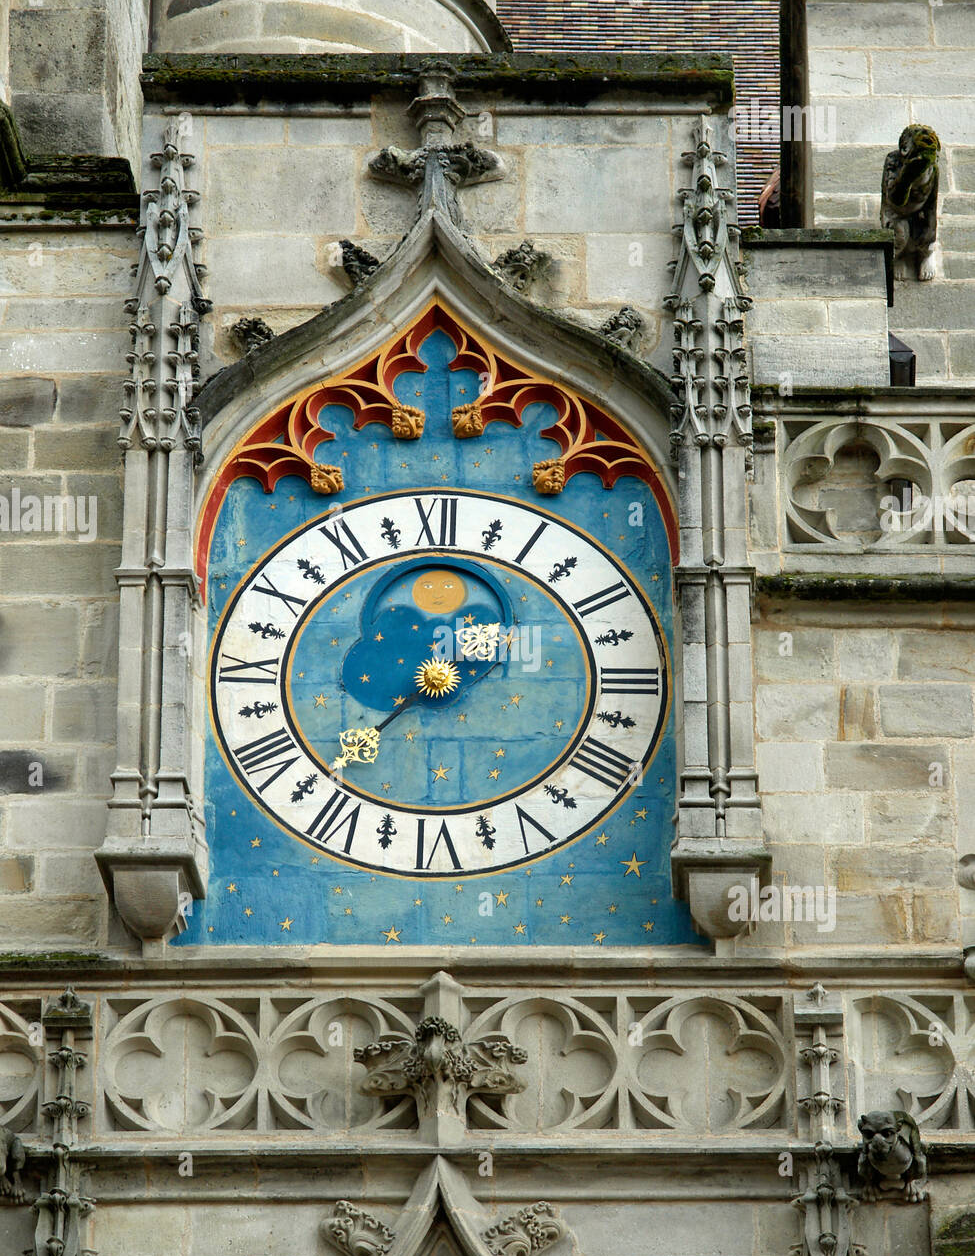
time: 12:37
